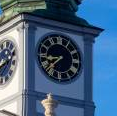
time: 8:37
